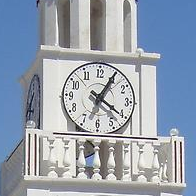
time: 4:04
